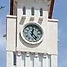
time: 12:23
